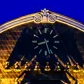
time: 8:27
